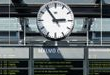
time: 2:54
